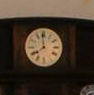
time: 7:58
